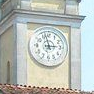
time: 2:57
